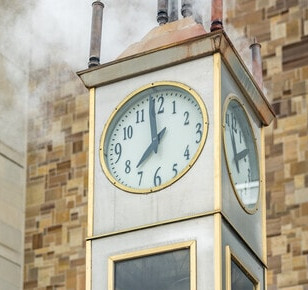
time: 11:37
